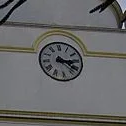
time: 3:22
